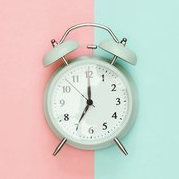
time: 7:00
